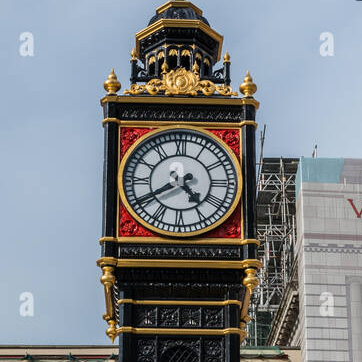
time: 4:40
